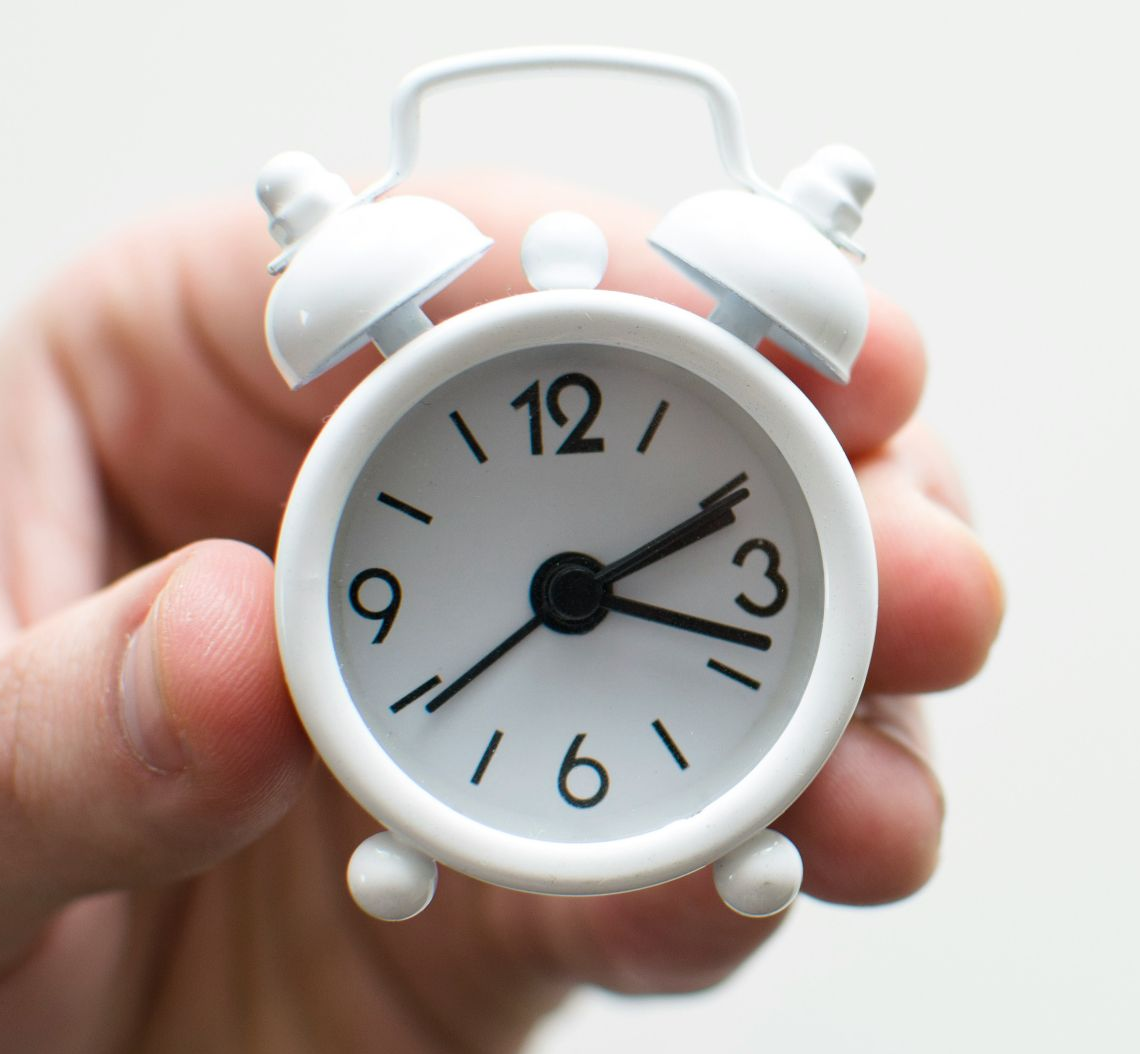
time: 2:18
